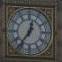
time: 12:36
